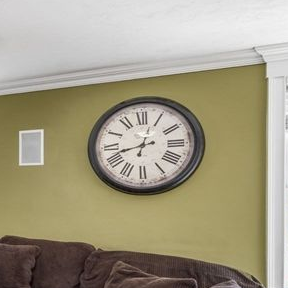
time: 12:42
